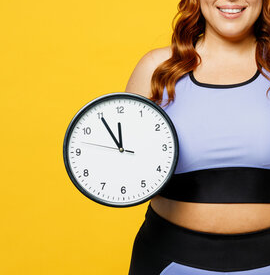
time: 11:54
